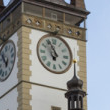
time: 6:56
